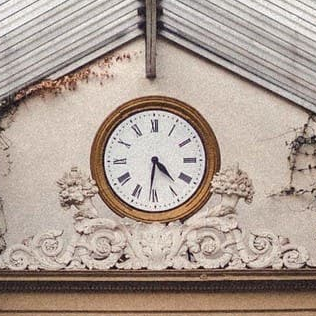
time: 4:31
